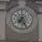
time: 7:24
